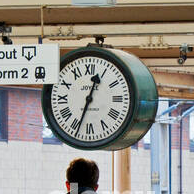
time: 12:33
